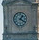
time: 1:20
